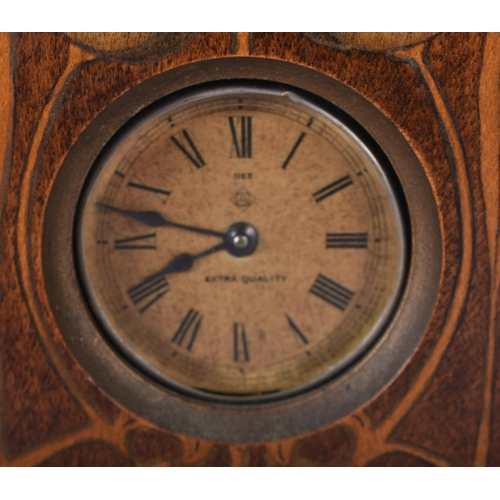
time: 7:47
